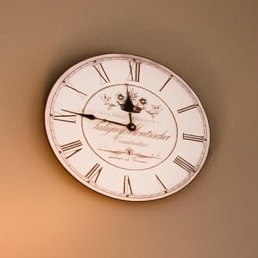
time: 11:46
